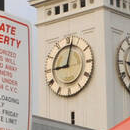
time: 9:01
